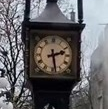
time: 2:28
